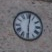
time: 6:01
